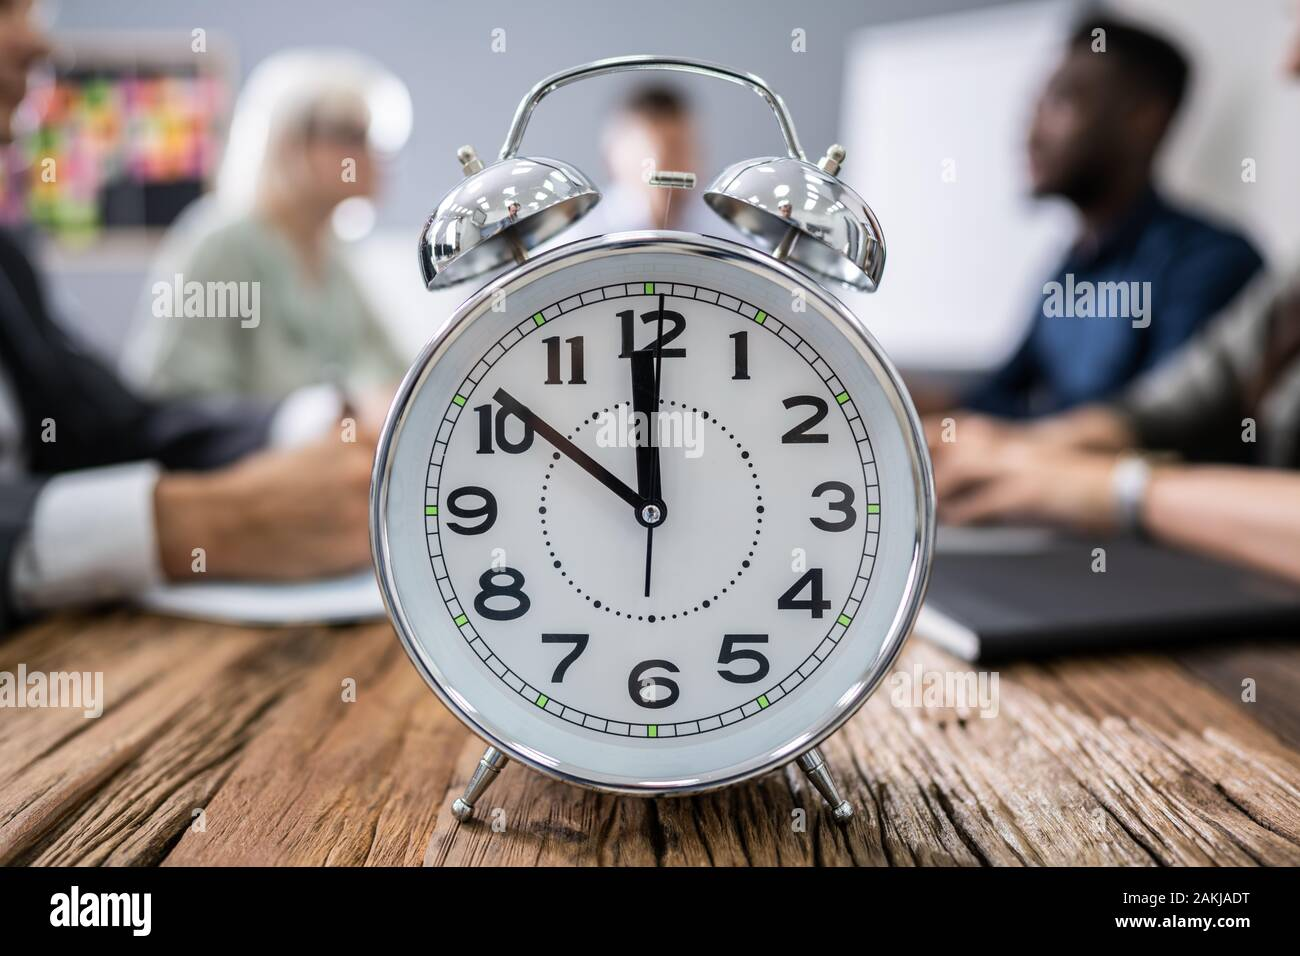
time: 11:51
